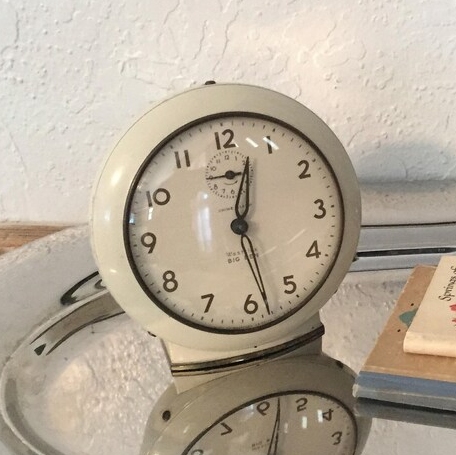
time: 12:28
